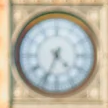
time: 4:33
